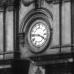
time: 3:45
